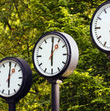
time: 6:00
